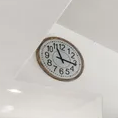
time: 11:16
